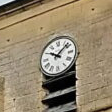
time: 10:07
